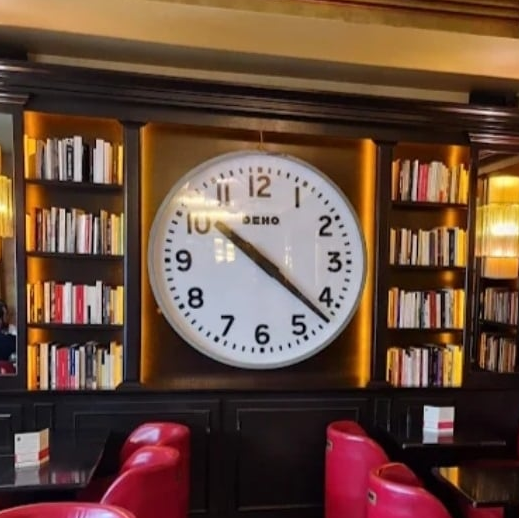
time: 10:21
